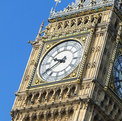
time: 9:39
